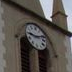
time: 9:11
